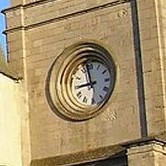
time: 8:58
